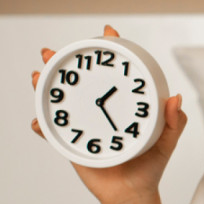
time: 1:23
